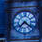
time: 7:21
